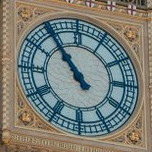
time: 10:53
